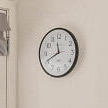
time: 11:40
